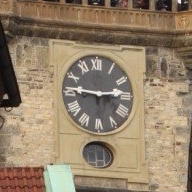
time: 2:46
